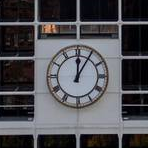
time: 12:05
